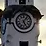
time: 5:06
